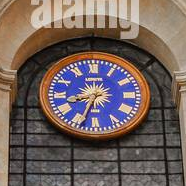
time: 8:33
